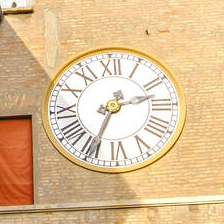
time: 2:34
